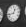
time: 12:43
